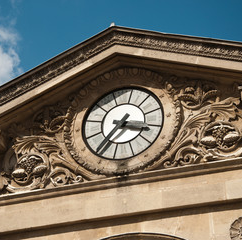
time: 3:35
